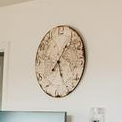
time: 5:06
